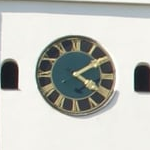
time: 4:09
